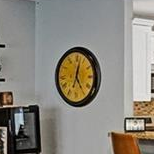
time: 5:02
